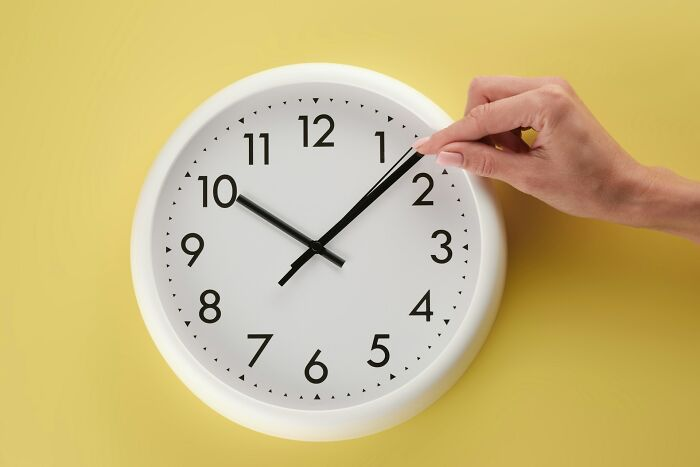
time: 10:07
